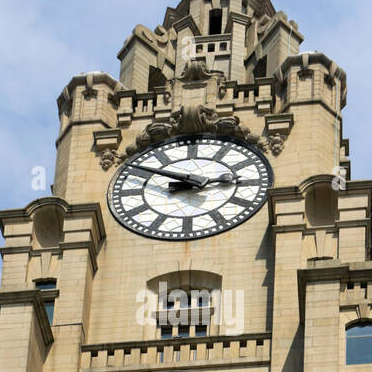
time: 2:48
